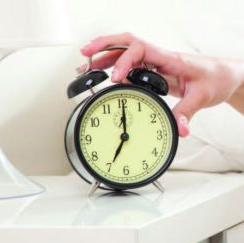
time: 7:00
